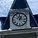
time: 1:16
